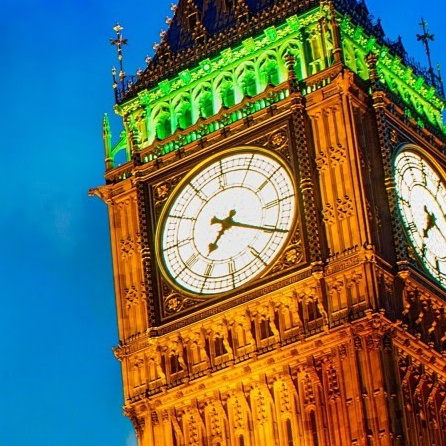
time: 7:19
